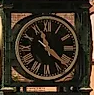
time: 11:21
